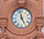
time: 4:57
